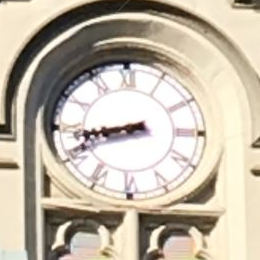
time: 8:42
